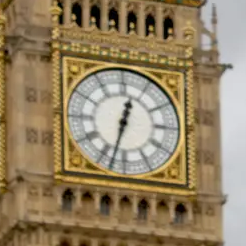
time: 12:32
